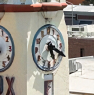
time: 5:19
